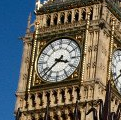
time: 3:37
